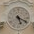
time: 5:18
